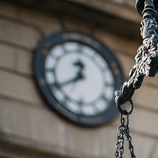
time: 12:39
